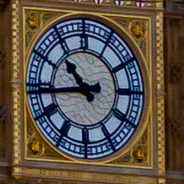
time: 10:43
